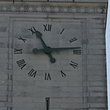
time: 11:13
